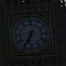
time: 6:34
